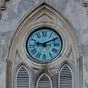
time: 9:10
